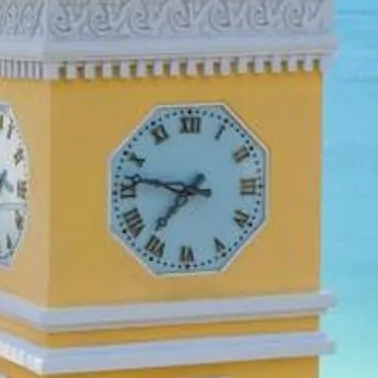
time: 7:46
